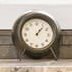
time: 1:07
